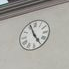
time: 4:56
